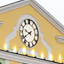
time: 9:39
